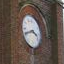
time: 3:41
